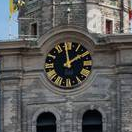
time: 1:59
